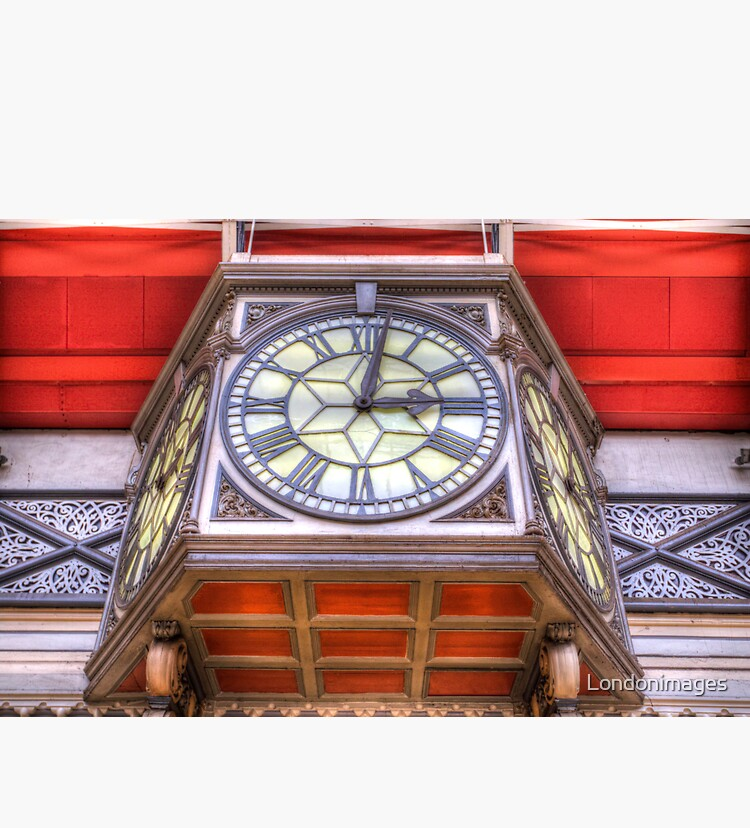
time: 3:01
